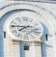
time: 7:45
